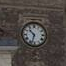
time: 10:33
